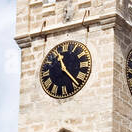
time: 11:22
